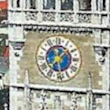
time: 1:37
